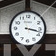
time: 3:17
